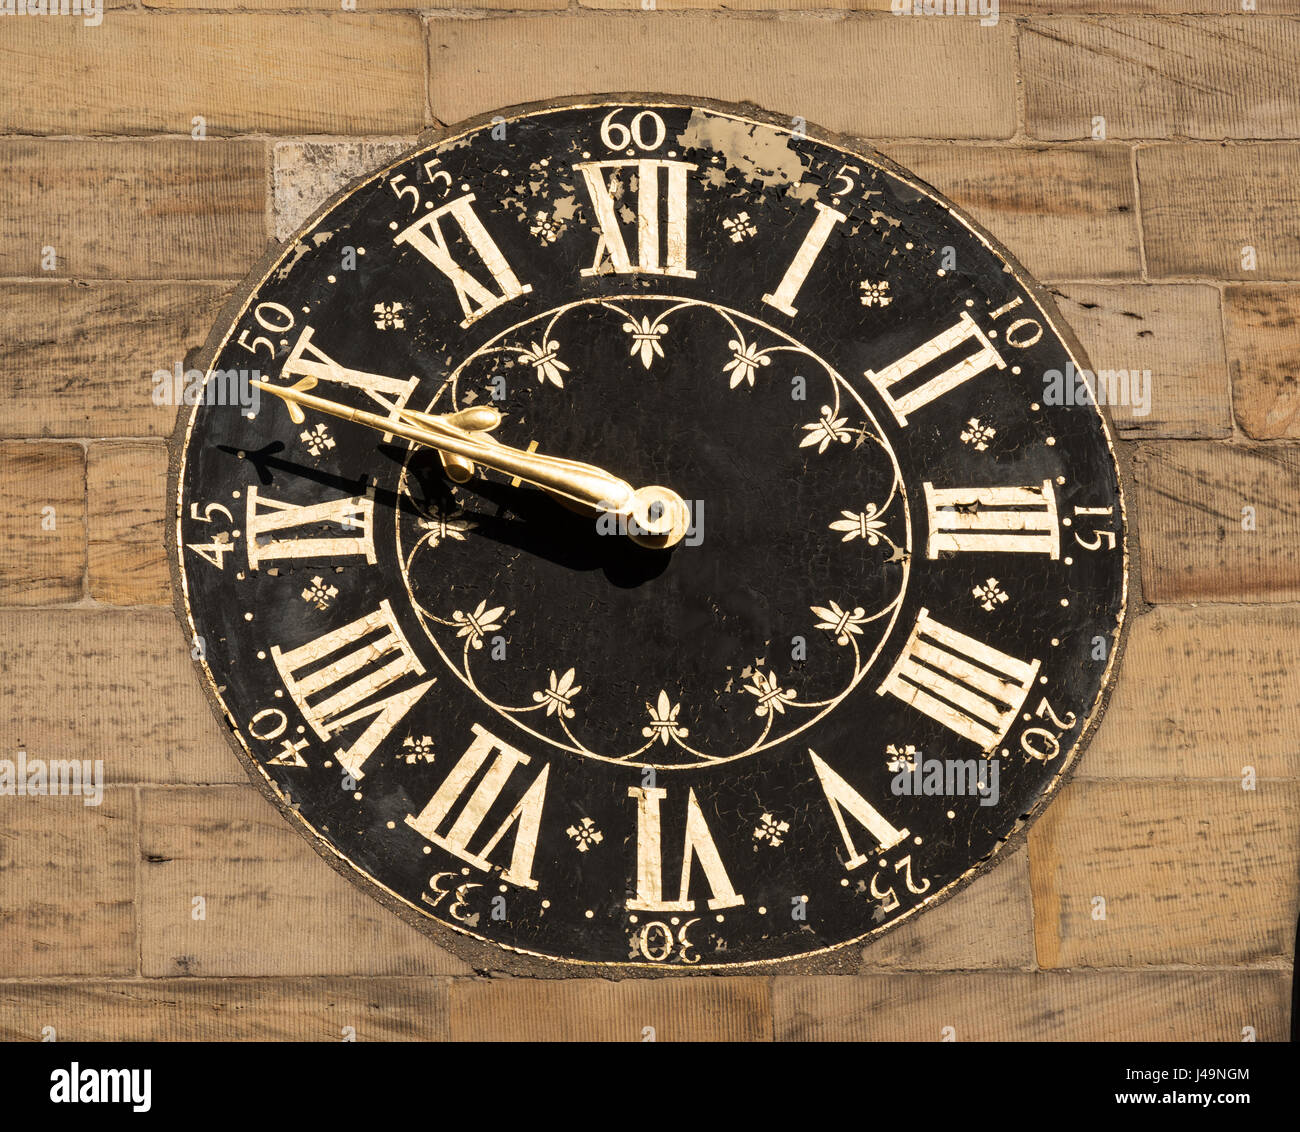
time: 9:49
